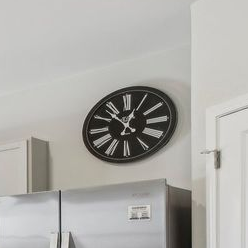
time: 12:53
